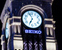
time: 6:56
